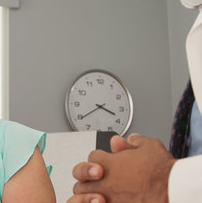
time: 3:39
